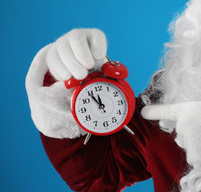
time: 11:54
